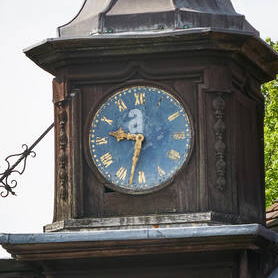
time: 9:32
